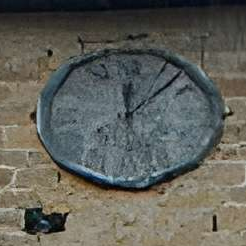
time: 12:07
